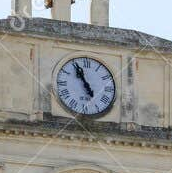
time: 10:55
